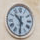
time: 10:30
